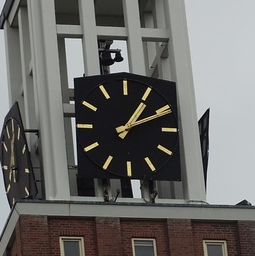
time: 1:10
